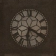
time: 6:20
